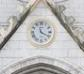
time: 11:19
